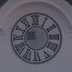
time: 8:49
